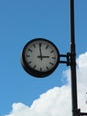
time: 2:59
